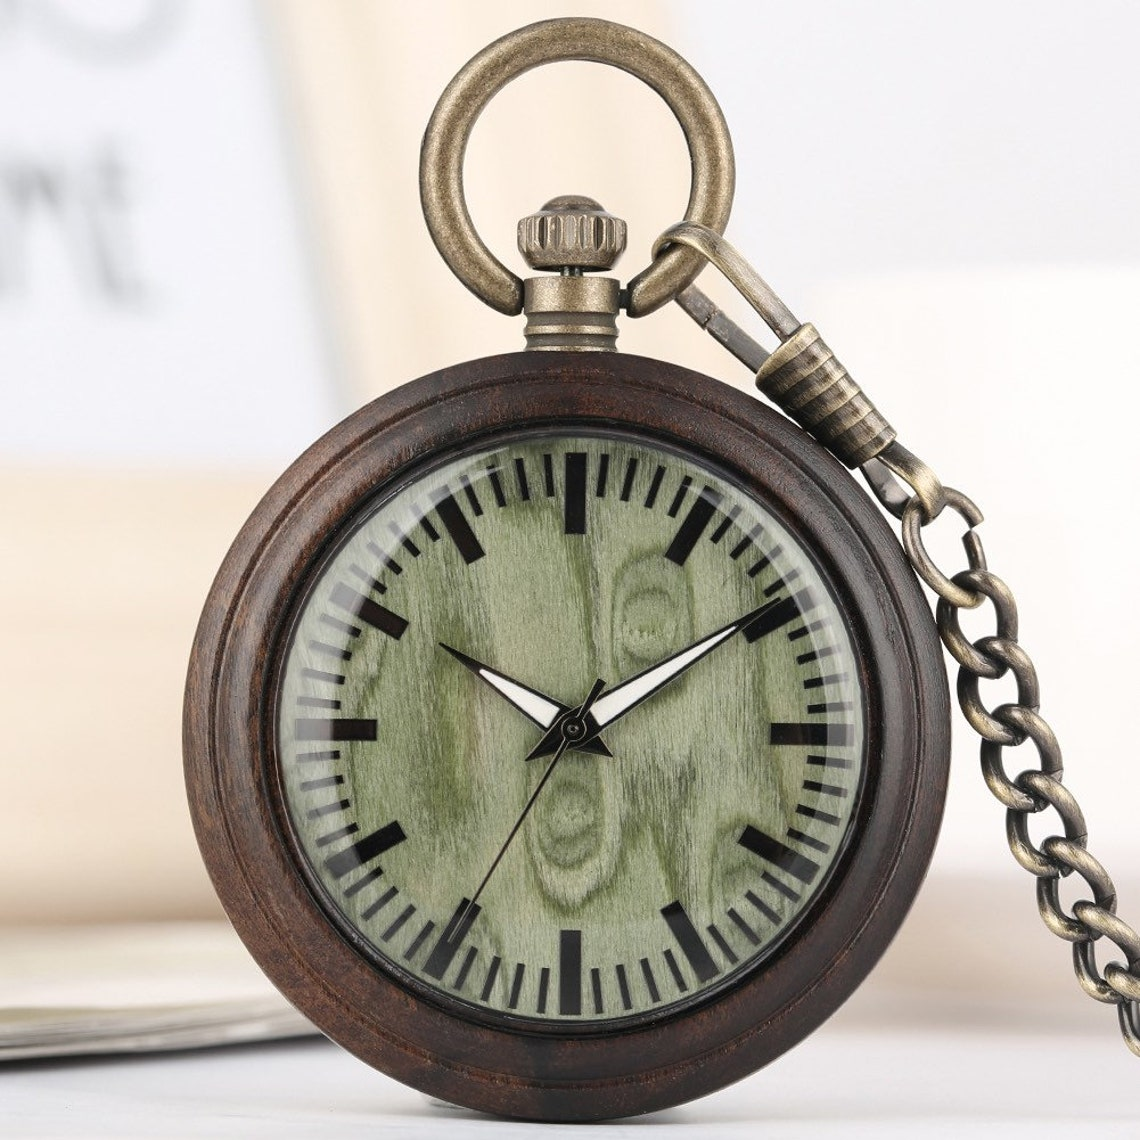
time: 1:50
